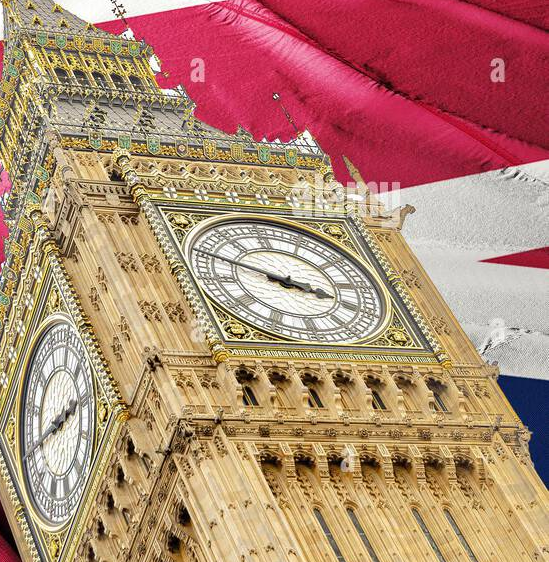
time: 3:48
